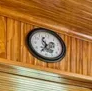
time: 11:35
